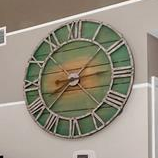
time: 8:38
